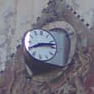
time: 8:12
